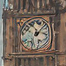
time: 11:07
